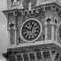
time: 12:48
